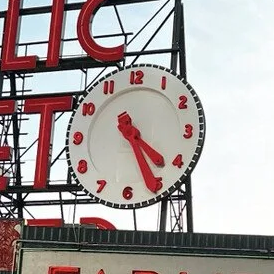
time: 4:25
